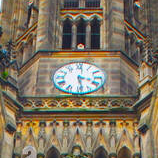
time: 3:28
